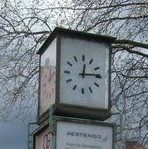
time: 12:14
